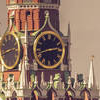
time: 2:42
